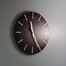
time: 11:25
